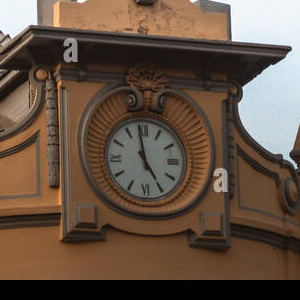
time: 4:58
